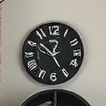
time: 12:52
